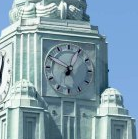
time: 12:49
